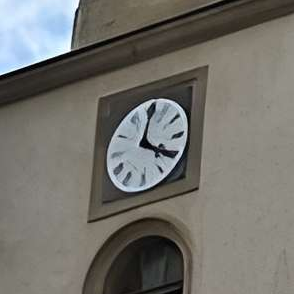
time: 4:01
